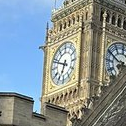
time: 6:48
